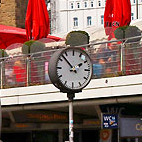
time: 1:52
